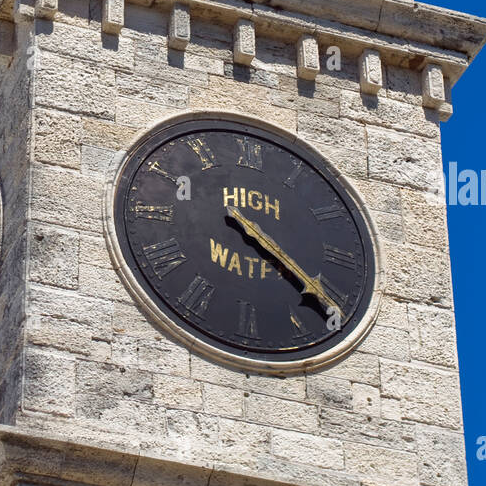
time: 4:21
